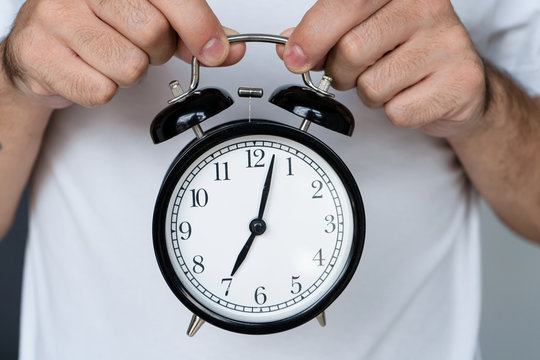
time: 7:02
